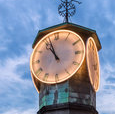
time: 10:56
